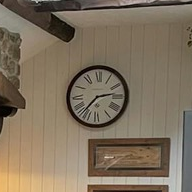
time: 2:36
